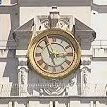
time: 2:56
